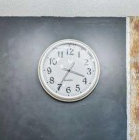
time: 3:35
